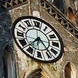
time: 7:23
